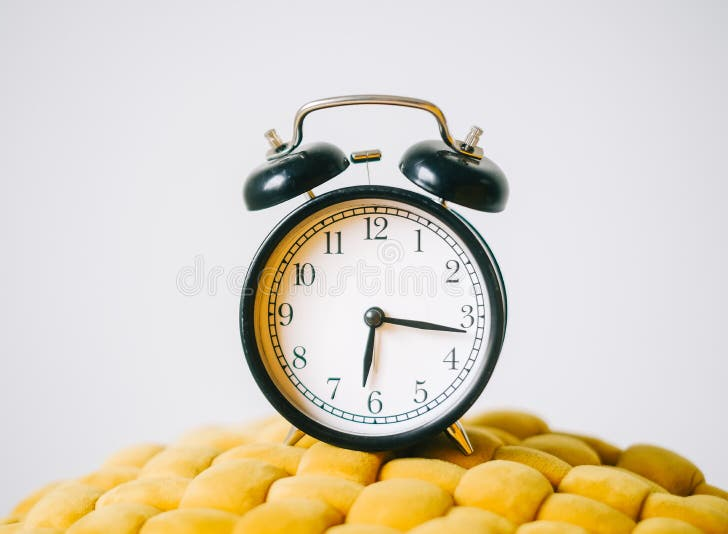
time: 6:16
